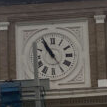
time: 10:55
